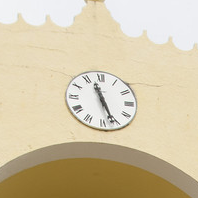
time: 11:26
